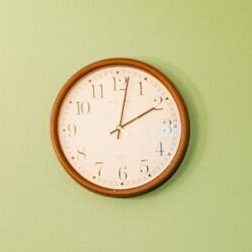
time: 2:01
